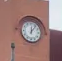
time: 12:06
